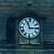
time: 11:14
